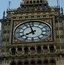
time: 7:57
